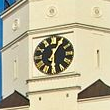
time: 6:05
